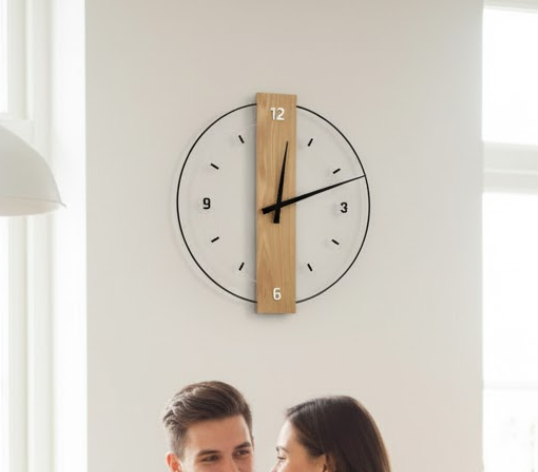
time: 12:11
